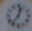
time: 12:36
